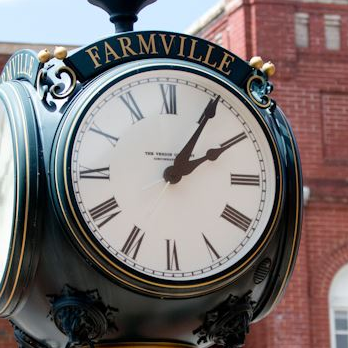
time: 2:05
